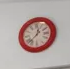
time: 12:37
